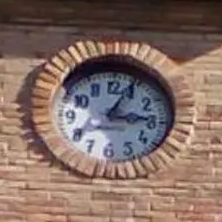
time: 3:04
